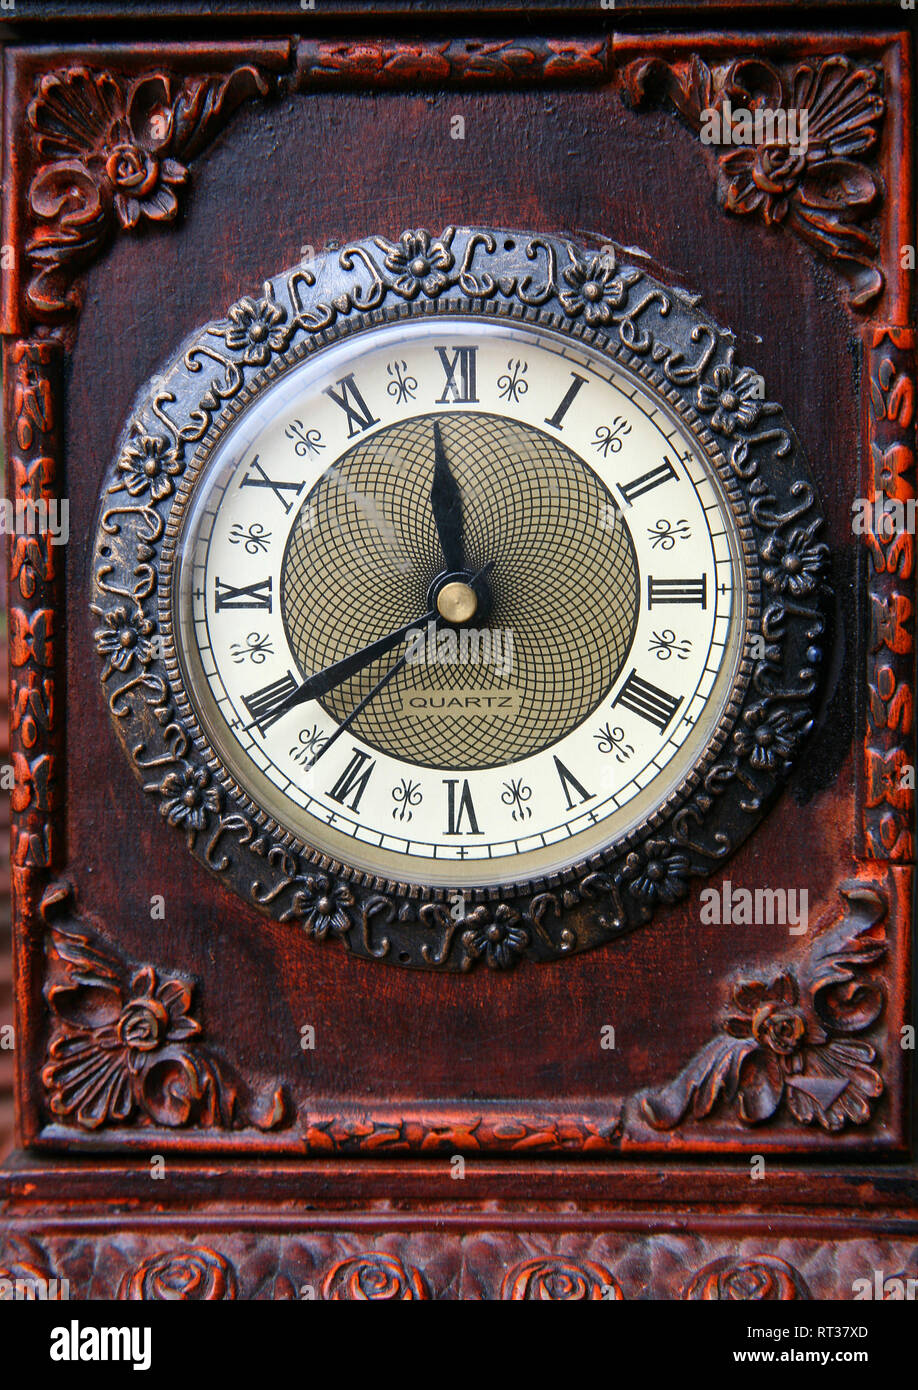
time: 11:40
